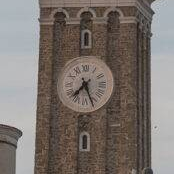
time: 7:25
